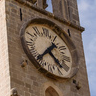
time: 4:37
